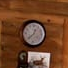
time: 12:38
